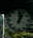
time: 1:02
